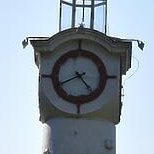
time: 4:40
